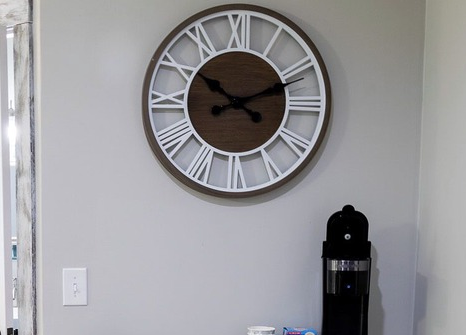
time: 10:11
